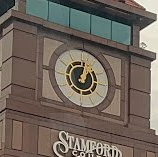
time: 1:02
